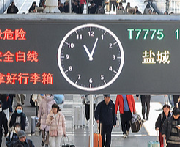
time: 11:03
